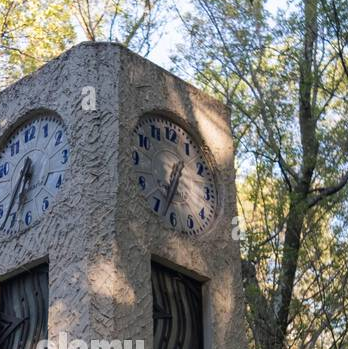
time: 6:34
